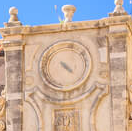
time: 4:22
